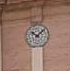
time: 10:07
